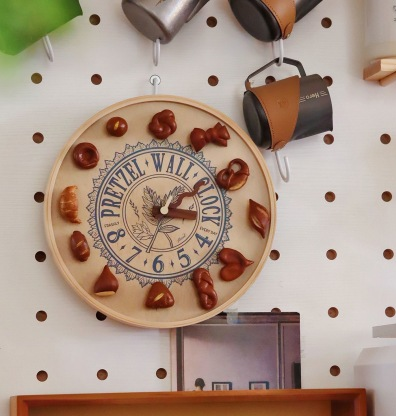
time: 3:09
